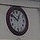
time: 12:50
